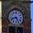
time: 8:25
